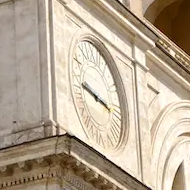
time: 9:16
